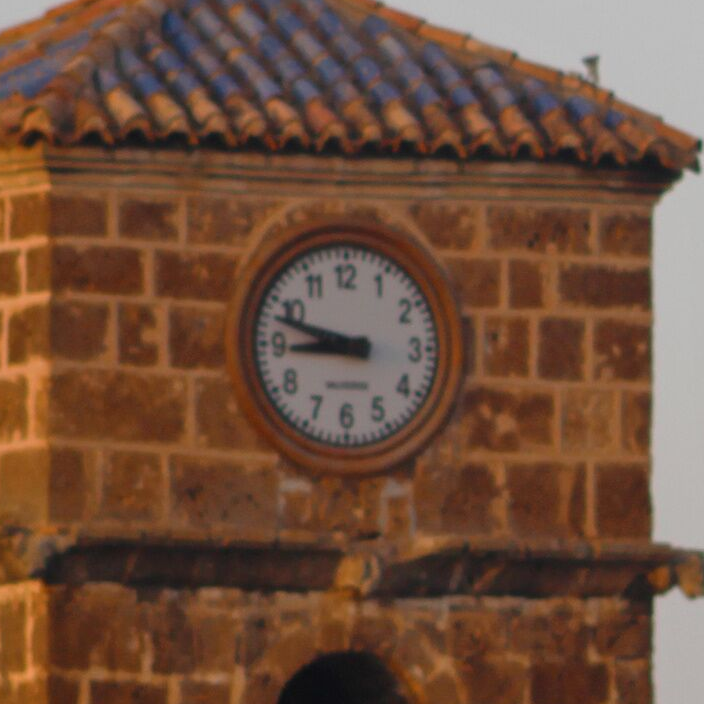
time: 8:47
